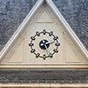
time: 7:12
